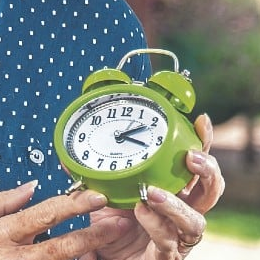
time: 2:18
